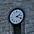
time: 2:18
